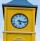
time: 5:16
